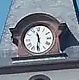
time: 11:31
